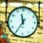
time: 11:35
